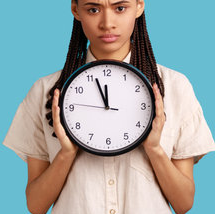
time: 11:56
